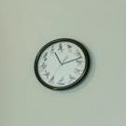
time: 11:12
